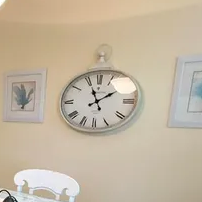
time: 1:56
